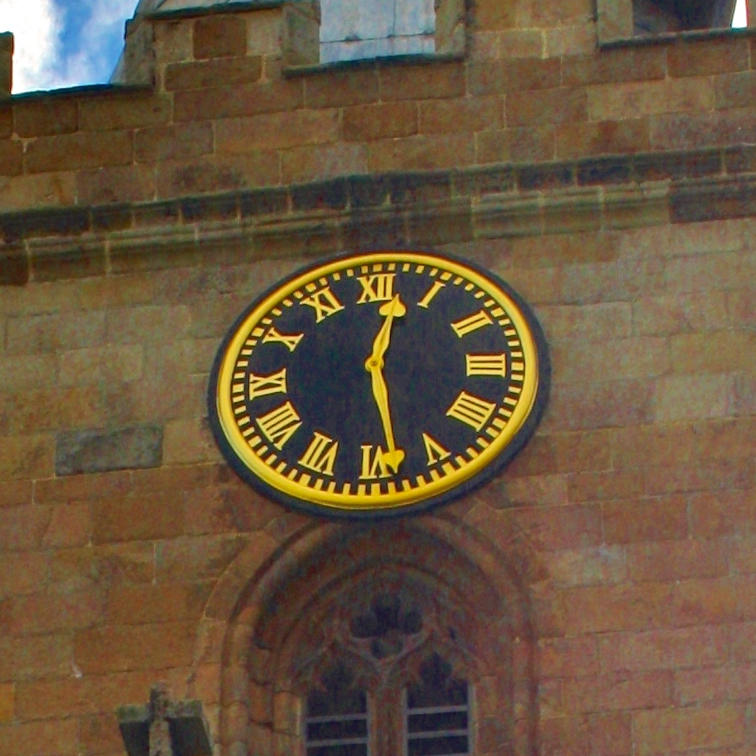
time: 12:28
